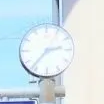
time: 2:36
